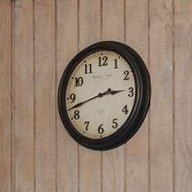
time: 2:42
